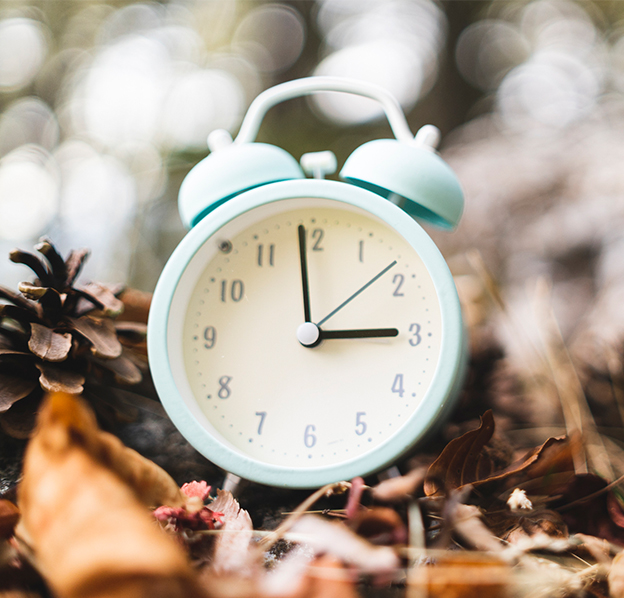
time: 2:59
